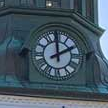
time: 1:59
